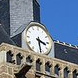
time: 3:28
